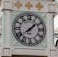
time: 1:39
